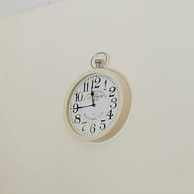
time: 11:44
